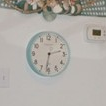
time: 2:32
